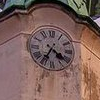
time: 4:35
